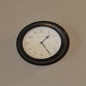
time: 1:24
